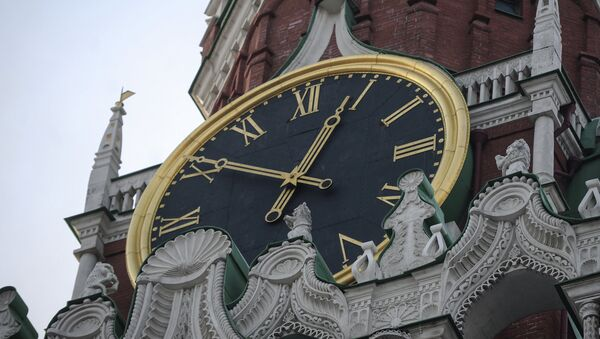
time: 12:50
